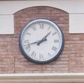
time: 1:42
